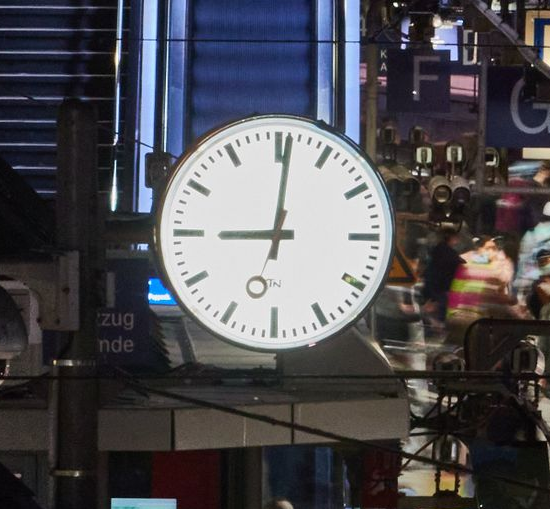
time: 9:01
